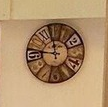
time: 11:46
